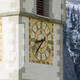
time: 8:37
